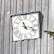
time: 11:17
